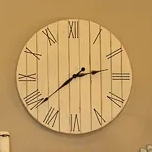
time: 2:38
